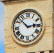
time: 2:52
